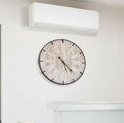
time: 4:26
